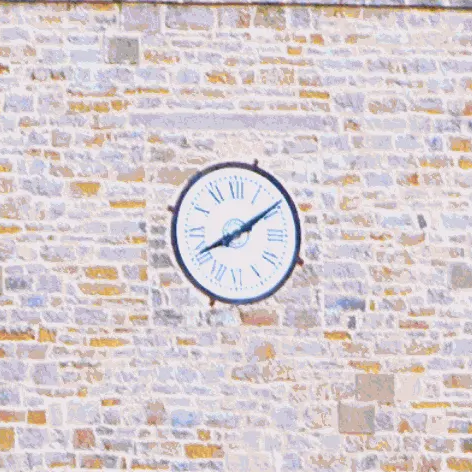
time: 8:09
